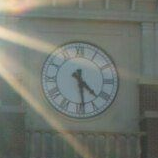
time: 4:28
